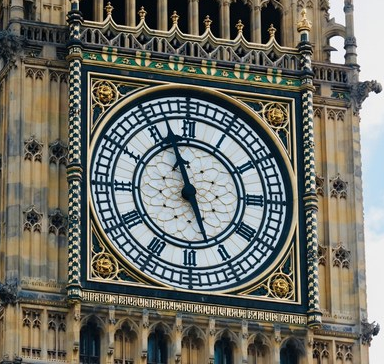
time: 4:56
